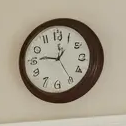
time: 12:46
